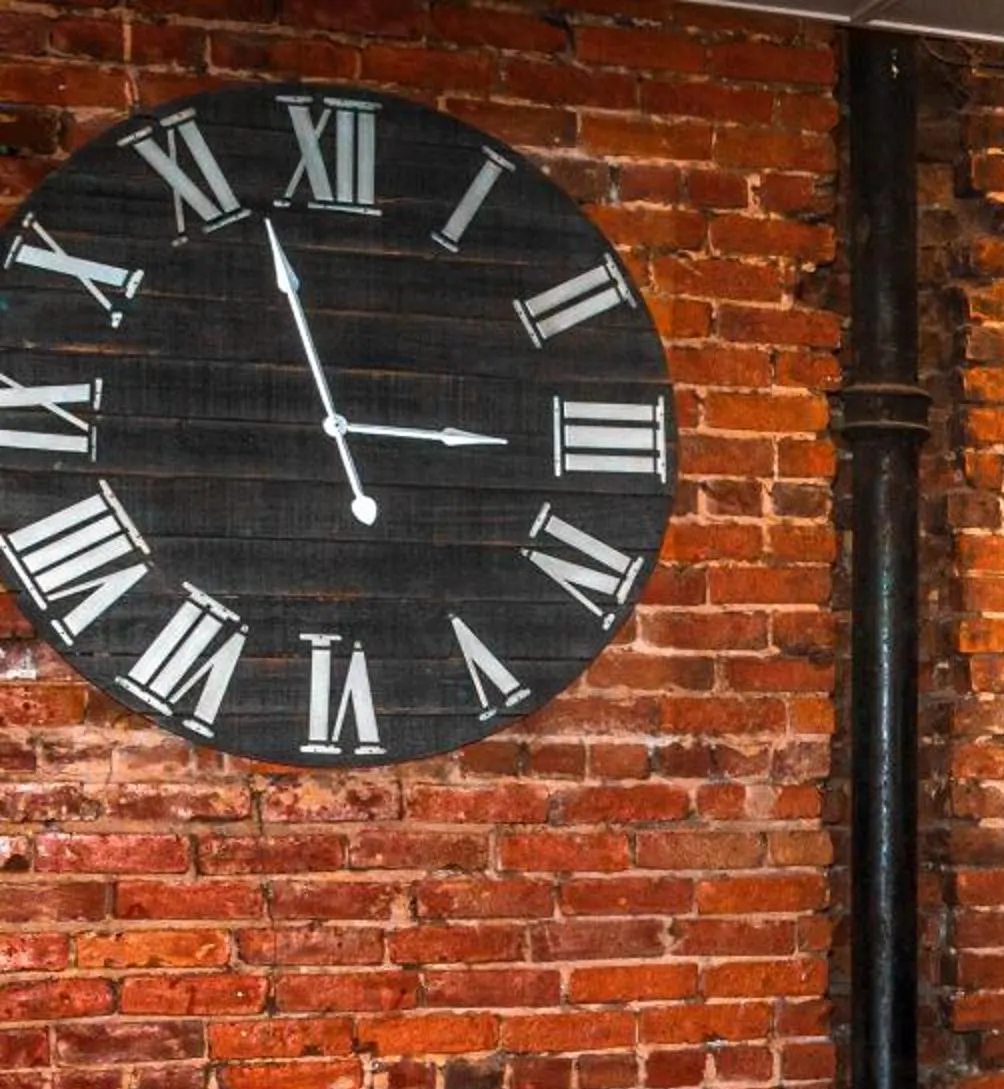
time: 2:56
